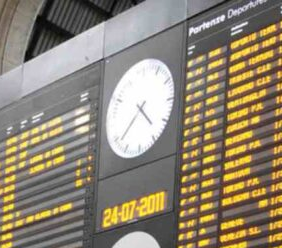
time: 4:38
